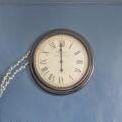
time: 5:59
